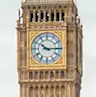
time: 10:14
